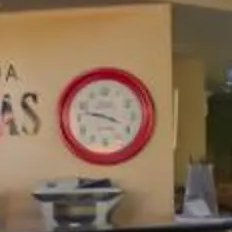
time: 3:47
